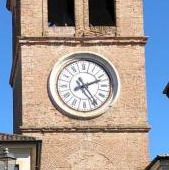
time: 2:24
